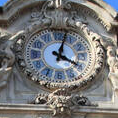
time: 4:02
